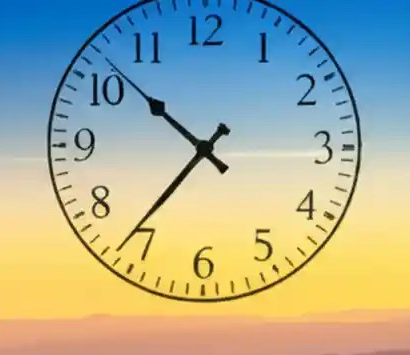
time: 10:36
